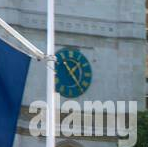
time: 1:23
